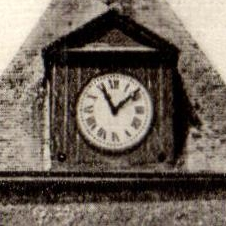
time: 11:08
